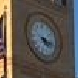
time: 4:17
